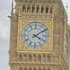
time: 4:09
